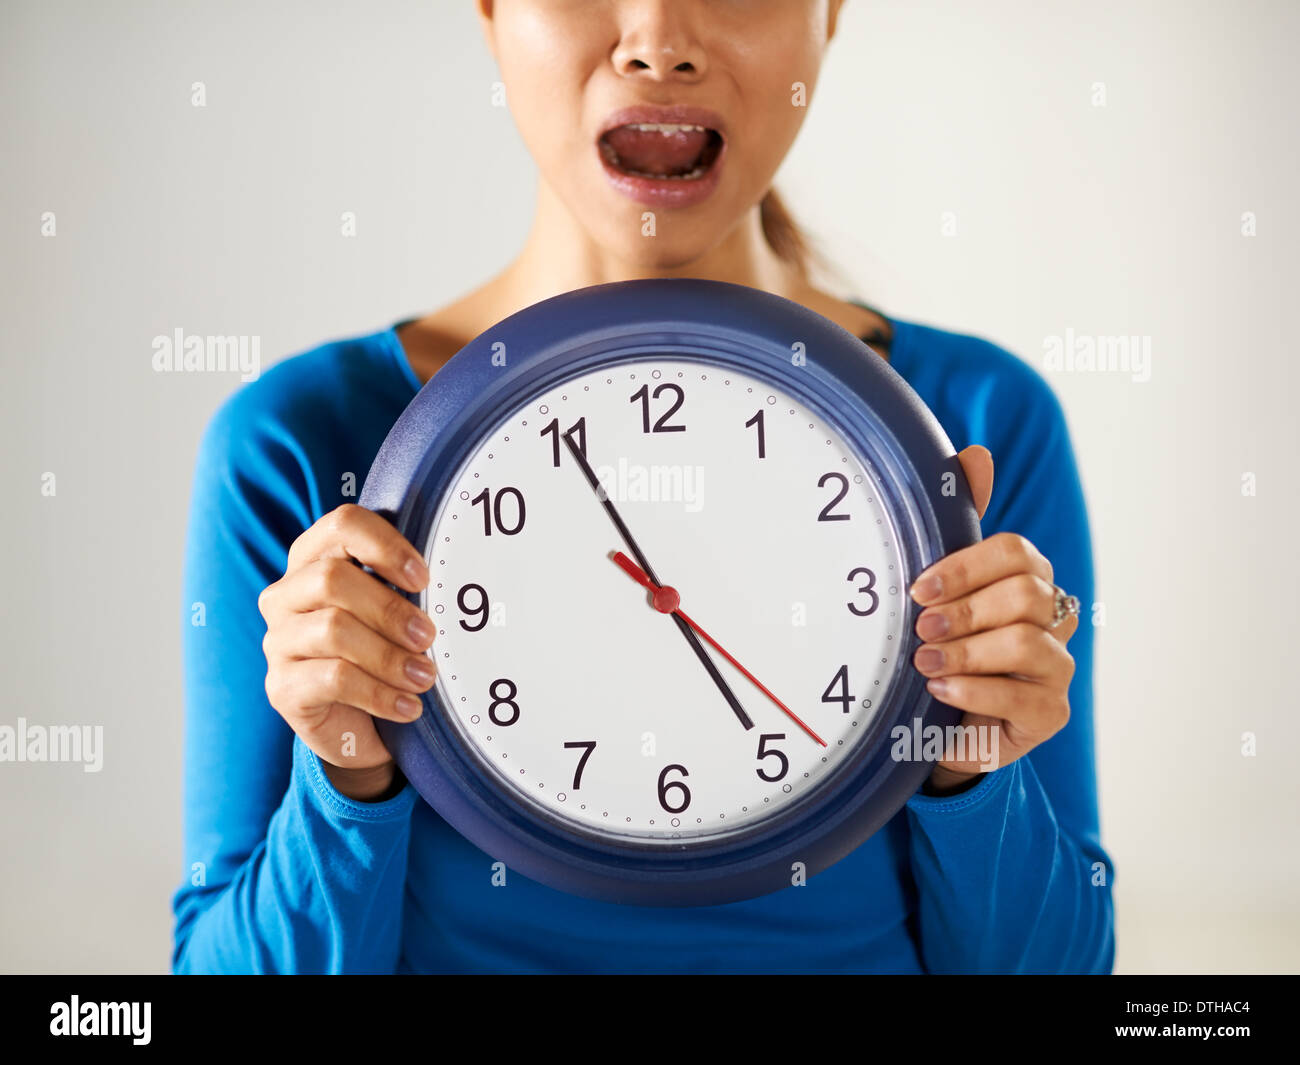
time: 4:55
